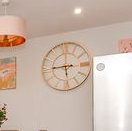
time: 5:45
